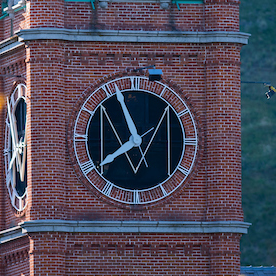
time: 7:56
